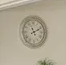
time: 11:10
